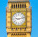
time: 9:12
